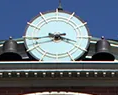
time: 3:43
